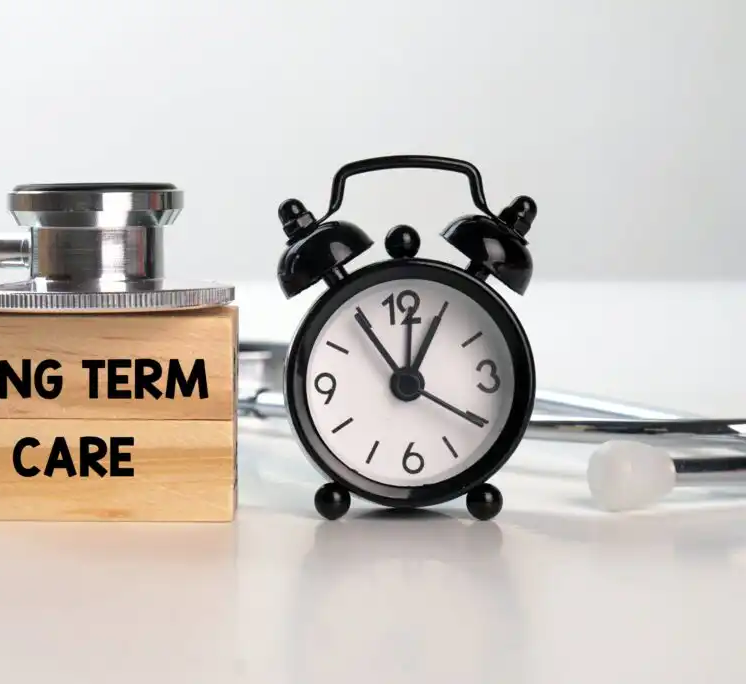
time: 11:05
